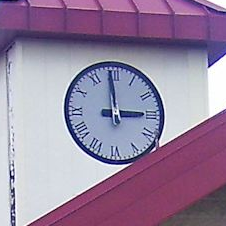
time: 2:59
